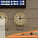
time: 12:14
